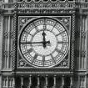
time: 11:44
